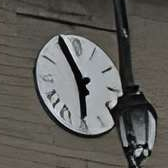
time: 5:55
